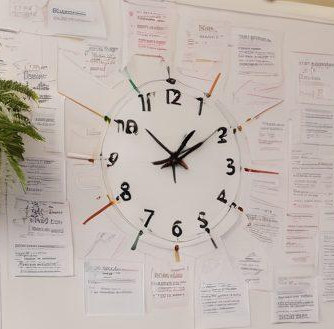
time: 1:09
